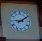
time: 9:10
